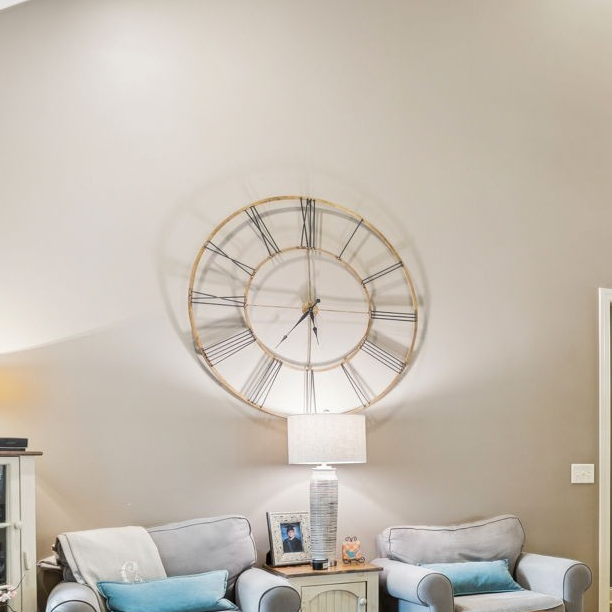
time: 7:00
